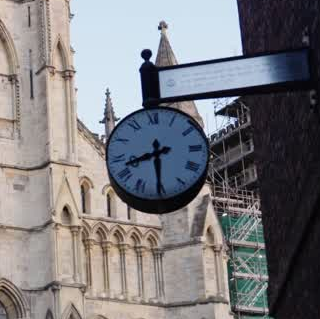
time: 8:30
